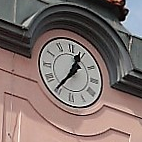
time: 12:36
